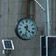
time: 4:32
